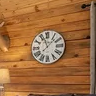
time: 11:07
